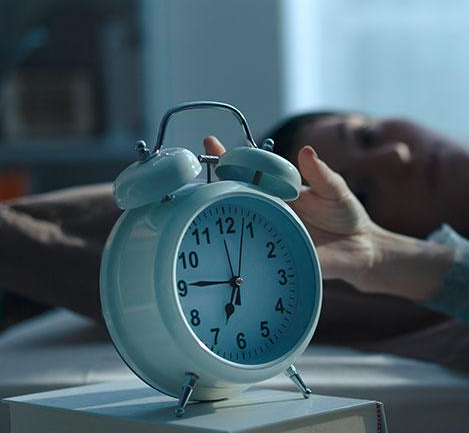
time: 6:45
